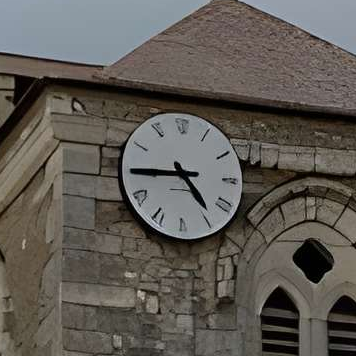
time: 4:44
